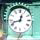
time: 12:42
